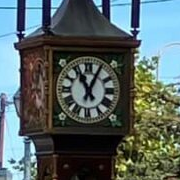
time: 11:04
